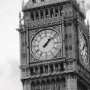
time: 1:08
